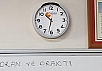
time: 10:31
